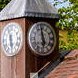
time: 5:58
